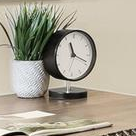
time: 11:18
